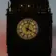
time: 4:02
